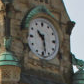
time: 10:28
